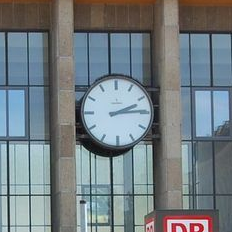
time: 2:14
